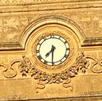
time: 7:30
